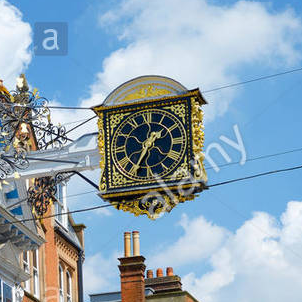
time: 1:34
